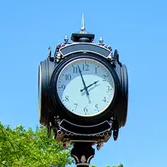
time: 1:57
